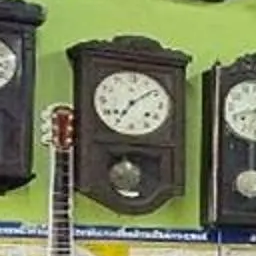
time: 7:08
